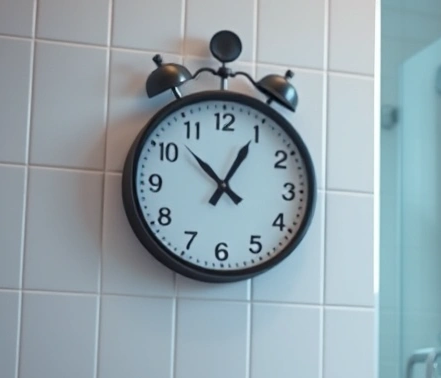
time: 12:52
